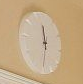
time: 11:29
